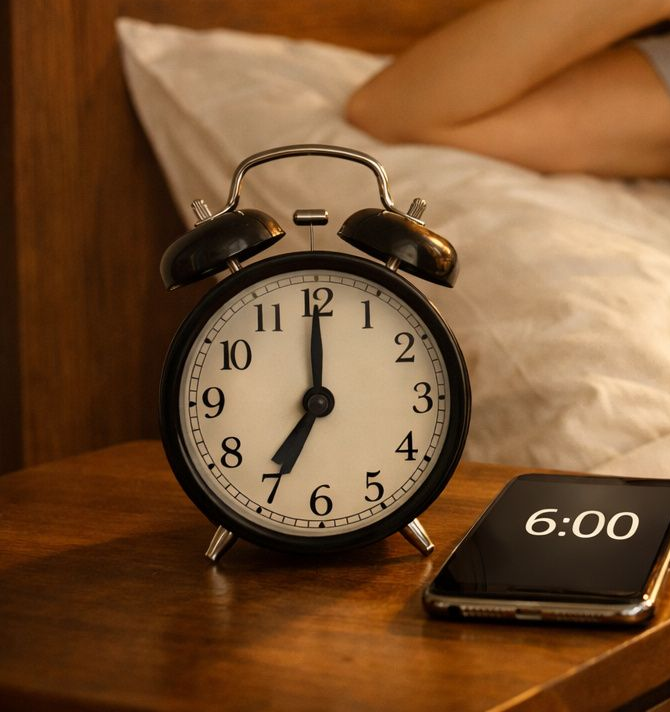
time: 7:00
